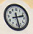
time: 2:27
